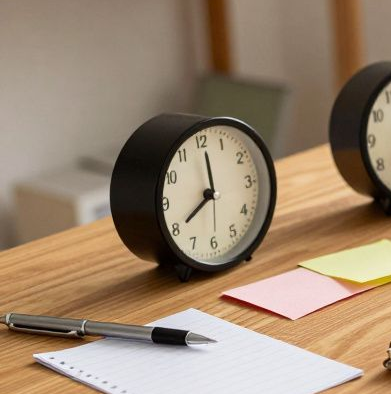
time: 8:00
